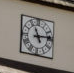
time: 11:13
